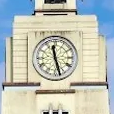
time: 11:27
